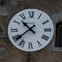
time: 10:38
